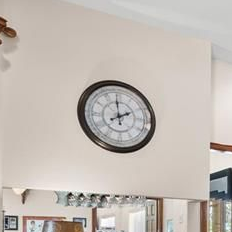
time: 1:59
